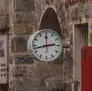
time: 2:42
